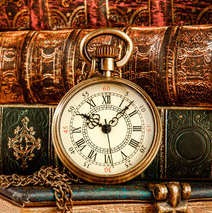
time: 10:07
